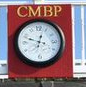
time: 12:48
